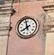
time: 7:57
